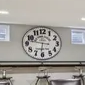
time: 9:31
